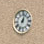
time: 1:02
